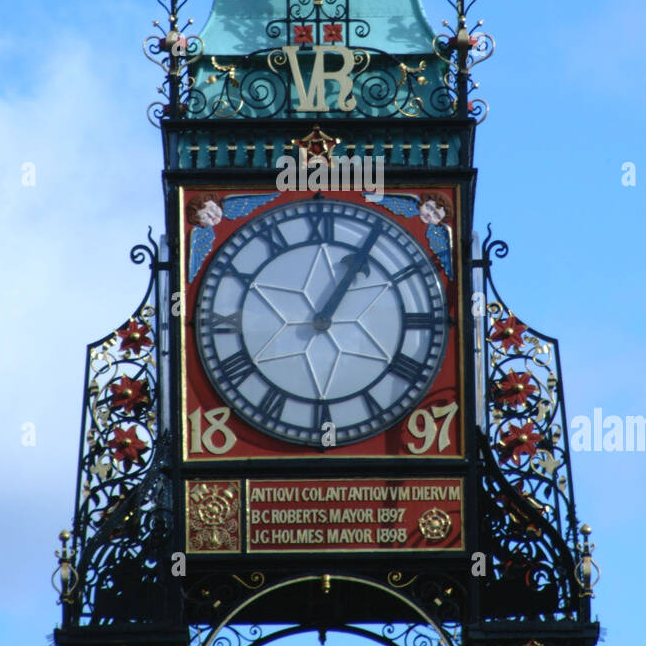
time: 1:05
